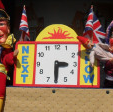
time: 3:29
